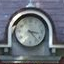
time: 3:22
